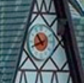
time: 10:41
